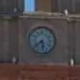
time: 5:38
